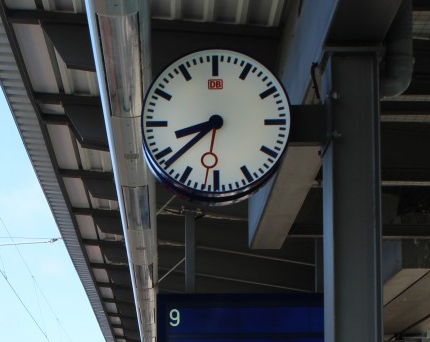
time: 8:38
